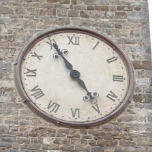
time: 4:55
